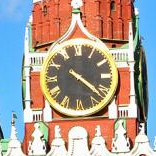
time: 4:21
